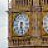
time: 6:28
